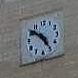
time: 4:51
